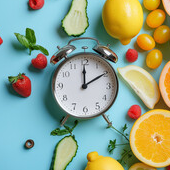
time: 12:09
